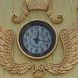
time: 12:16
